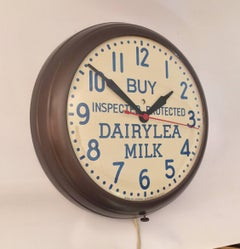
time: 1:51
